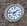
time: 1:46
